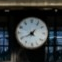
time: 8:06
